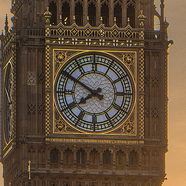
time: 7:49
